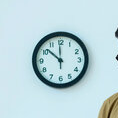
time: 11:51
